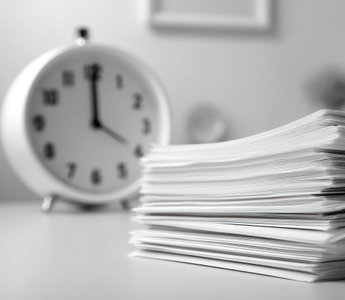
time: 4:00
